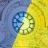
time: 9:36
